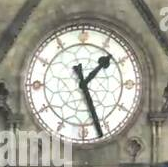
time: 1:26
